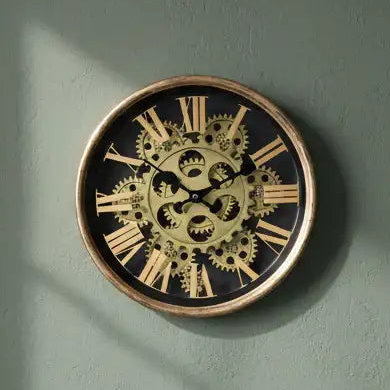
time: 1:50
